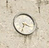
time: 3:32
